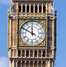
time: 11:49
